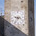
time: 9:36
